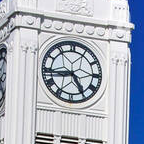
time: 4:44
